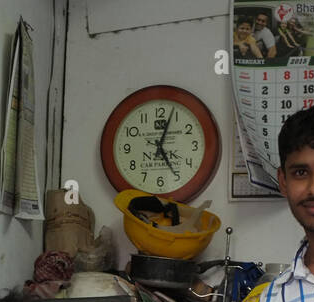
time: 5:03
